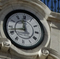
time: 11:42
